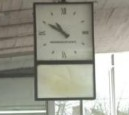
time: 10:50
